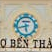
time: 5:42
